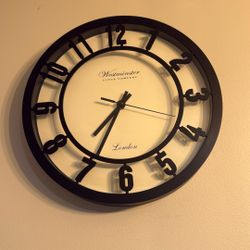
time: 7:34
